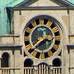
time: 2:38
